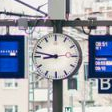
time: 8:46
